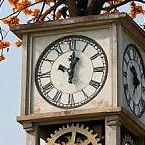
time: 10:01
